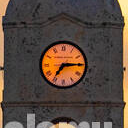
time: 7:14
